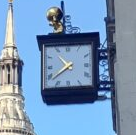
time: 10:38
